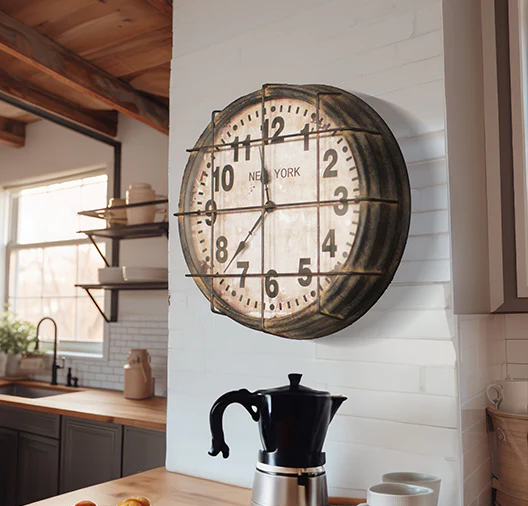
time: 11:37
